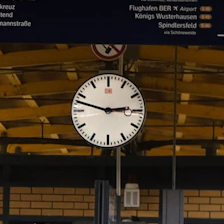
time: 2:47
